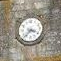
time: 3:37
